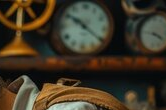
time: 10:21
